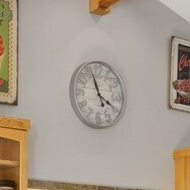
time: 3:57
